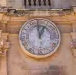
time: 12:59
